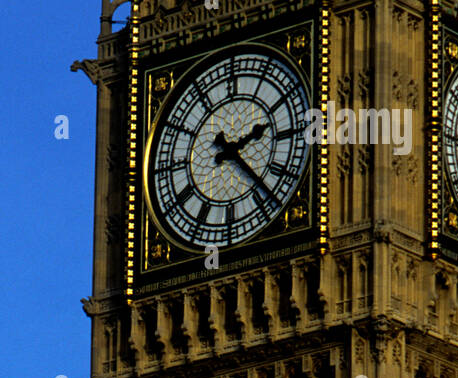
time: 2:22
